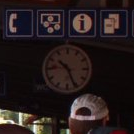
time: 10:26
